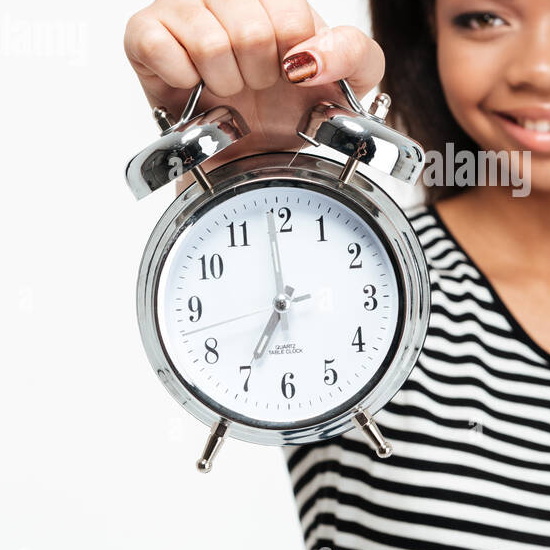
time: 6:59
